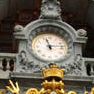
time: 11:13
